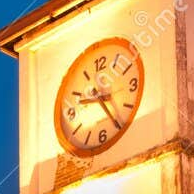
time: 9:25
